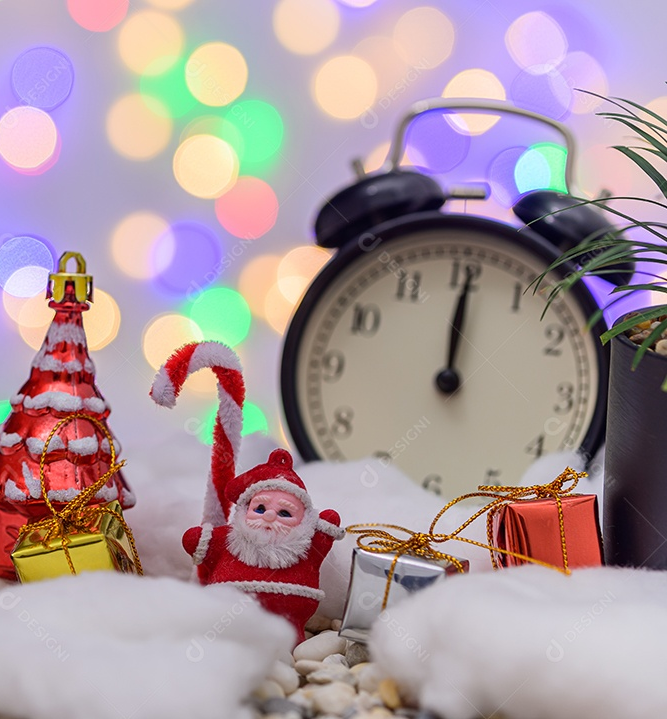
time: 12:00
